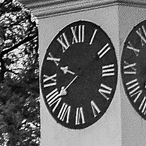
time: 9:40
